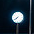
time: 7:39
